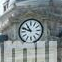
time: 10:48
